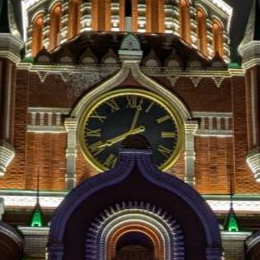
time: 8:02
